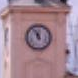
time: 11:55
